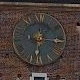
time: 6:15
